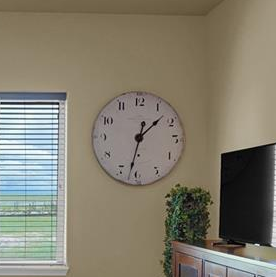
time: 1:32
